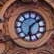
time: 6:08
